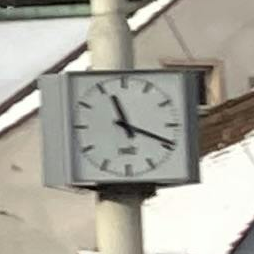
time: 11:18
